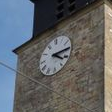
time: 4:14
